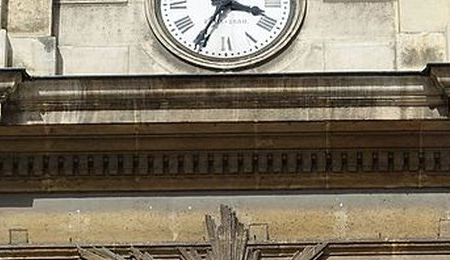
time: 3:35
